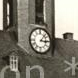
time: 3:06
